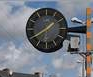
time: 1:39
